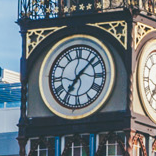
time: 7:07
